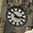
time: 2:50
